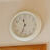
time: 11:33
